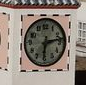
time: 6:13
